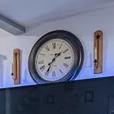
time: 1:35
